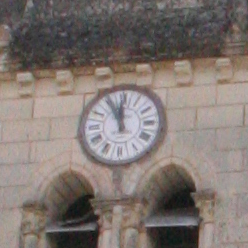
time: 11:55
